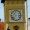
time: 10:37
